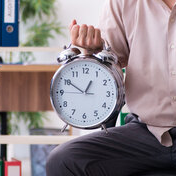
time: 12:50
